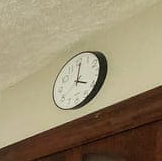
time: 4:00
